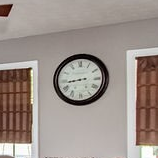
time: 8:43
